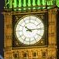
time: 10:13
